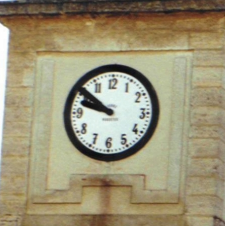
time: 9:51
